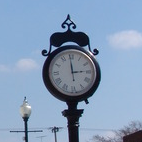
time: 2:59
